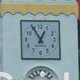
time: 12:55
